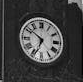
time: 6:51
